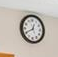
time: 12:40
